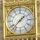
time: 1:37
